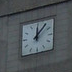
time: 12:06
